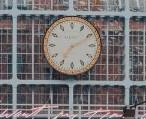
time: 7:10
